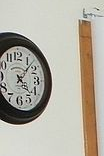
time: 1:22
